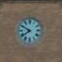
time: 7:49
